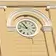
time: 10:47
